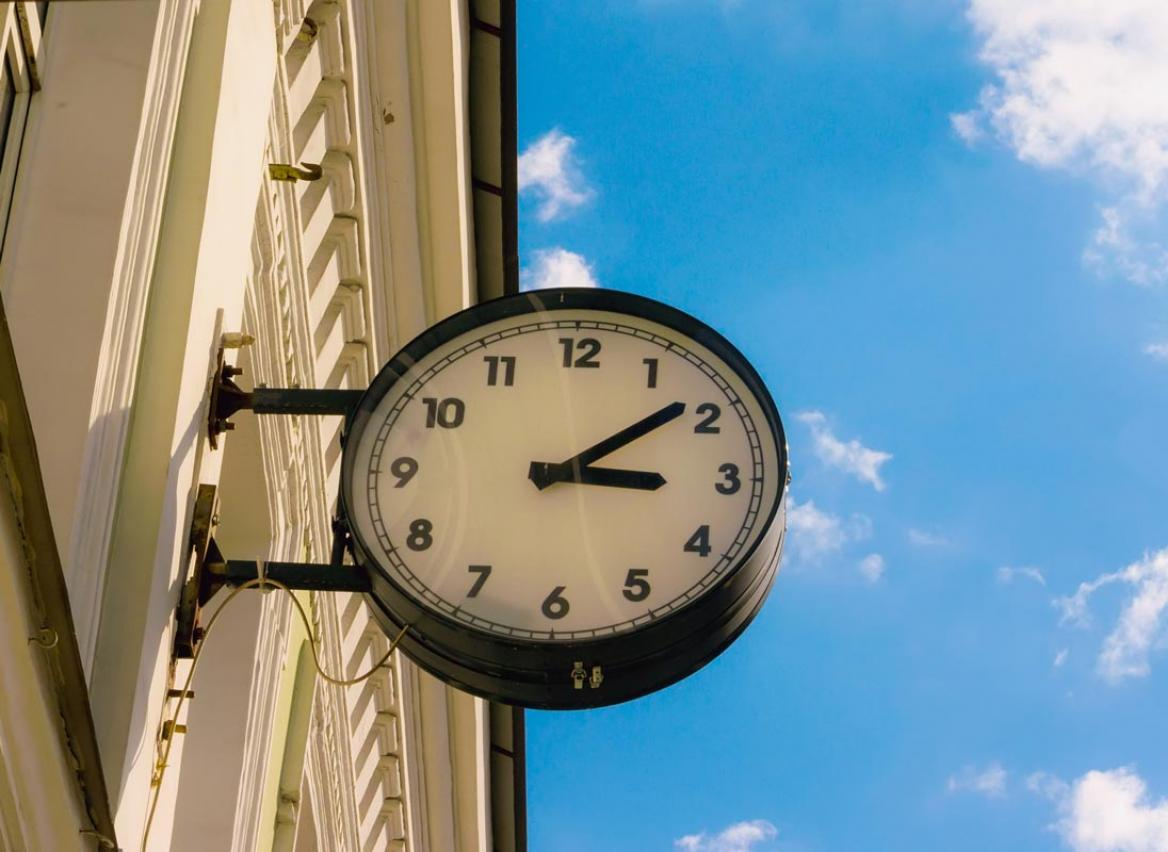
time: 3:08
